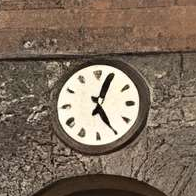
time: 5:03
